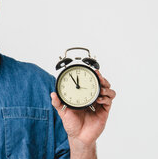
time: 11:54
